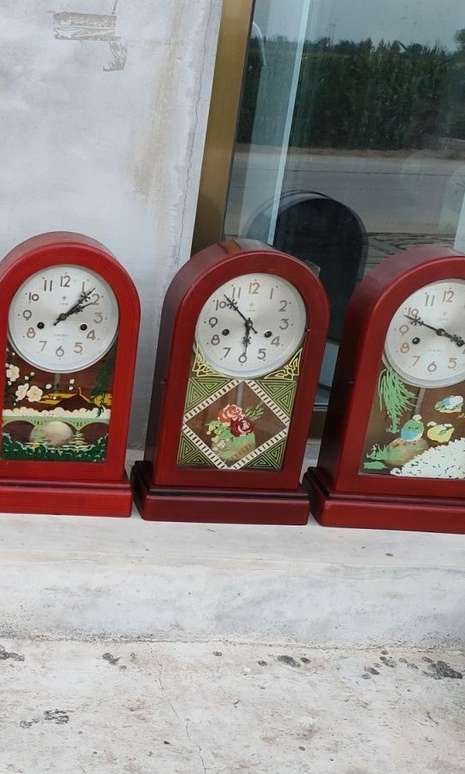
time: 5:49
